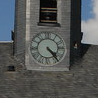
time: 4:23
